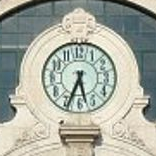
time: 5:34
